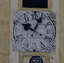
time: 10:04
